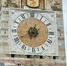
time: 6:40
